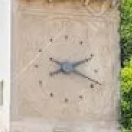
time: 2:18
